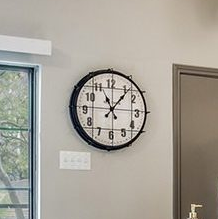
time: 11:06
